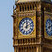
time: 12:10
